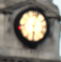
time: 6:03
